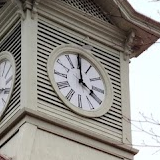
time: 3:59
